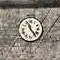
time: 11:23
